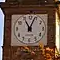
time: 11:03
